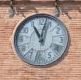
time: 11:02
